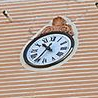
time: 10:35
